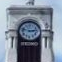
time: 2:47
